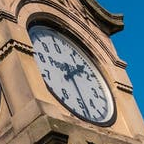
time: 1:28
